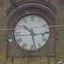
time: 10:28
